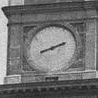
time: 8:11
